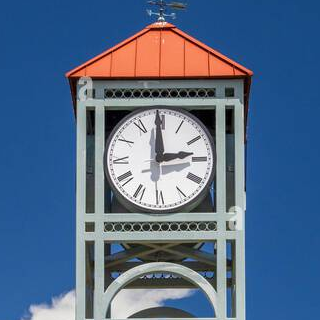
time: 2:59
